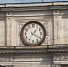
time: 1:20
